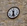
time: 6:27
